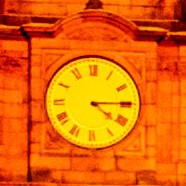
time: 4:14
